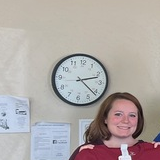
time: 2:21
